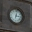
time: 3:02
